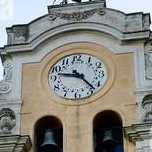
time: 9:23
